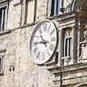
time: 10:45
